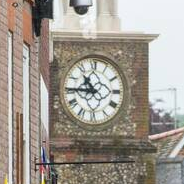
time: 10:45
